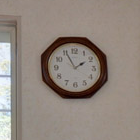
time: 1:55
